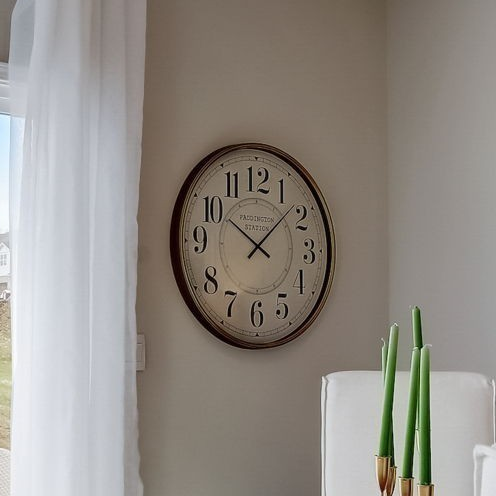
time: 10:07
